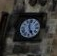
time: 4:59
